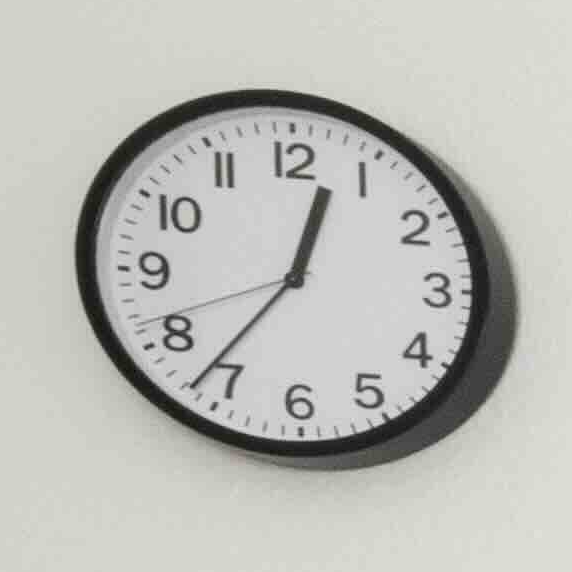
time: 12:36
